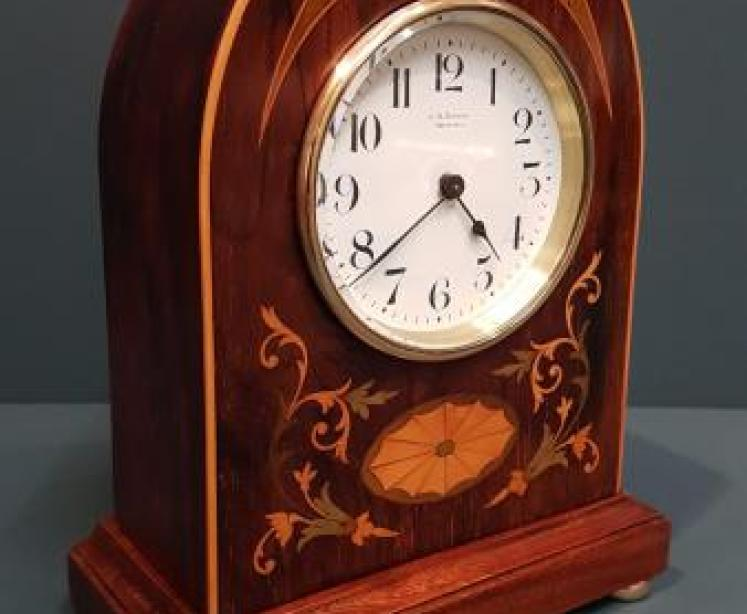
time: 4:38
